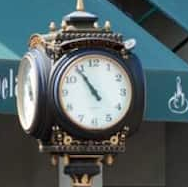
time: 10:54
